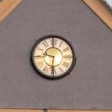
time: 9:31
